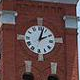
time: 2:02
